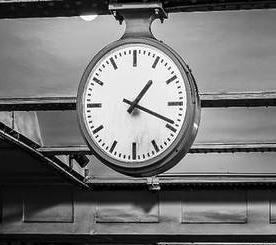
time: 1:18
